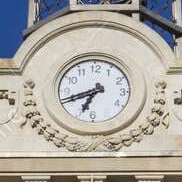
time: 6:41
